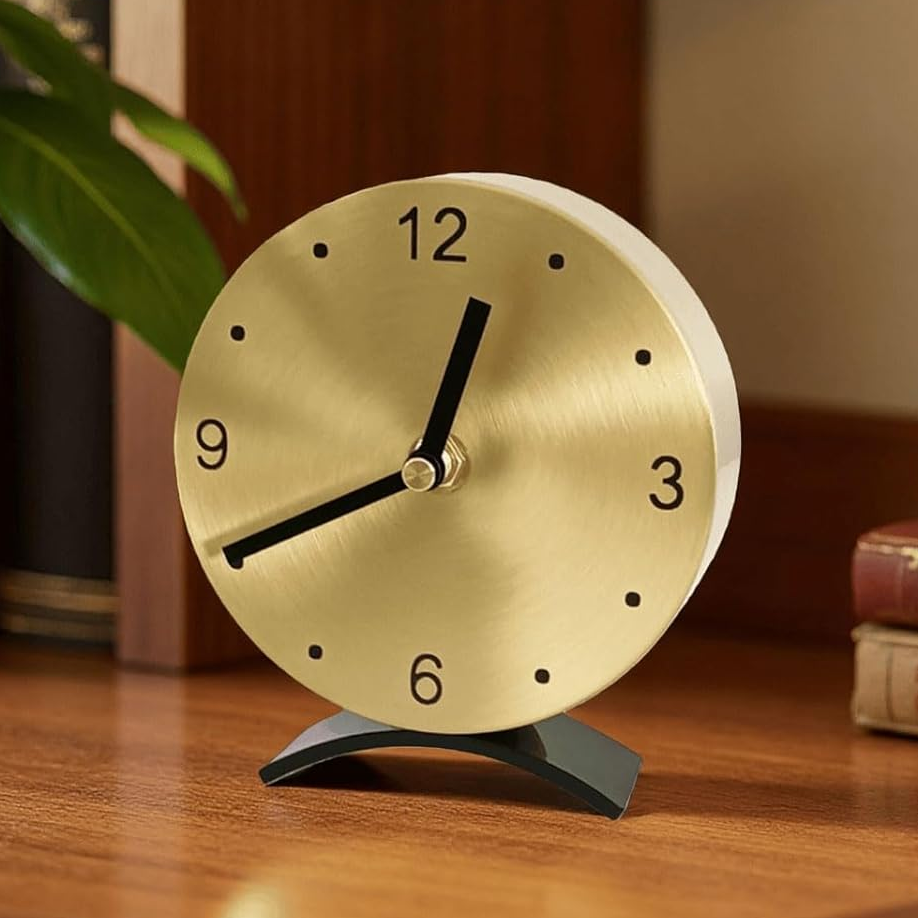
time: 12:40
